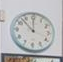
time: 11:52
